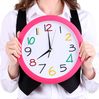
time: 7:59
